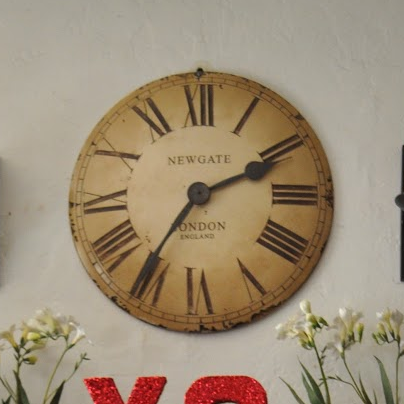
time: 7:10
